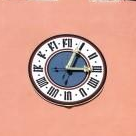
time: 3:04
